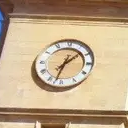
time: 1:32
